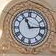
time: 11:14
